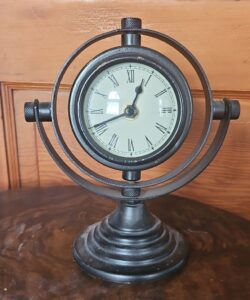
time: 12:41
